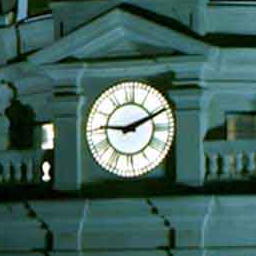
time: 9:10
